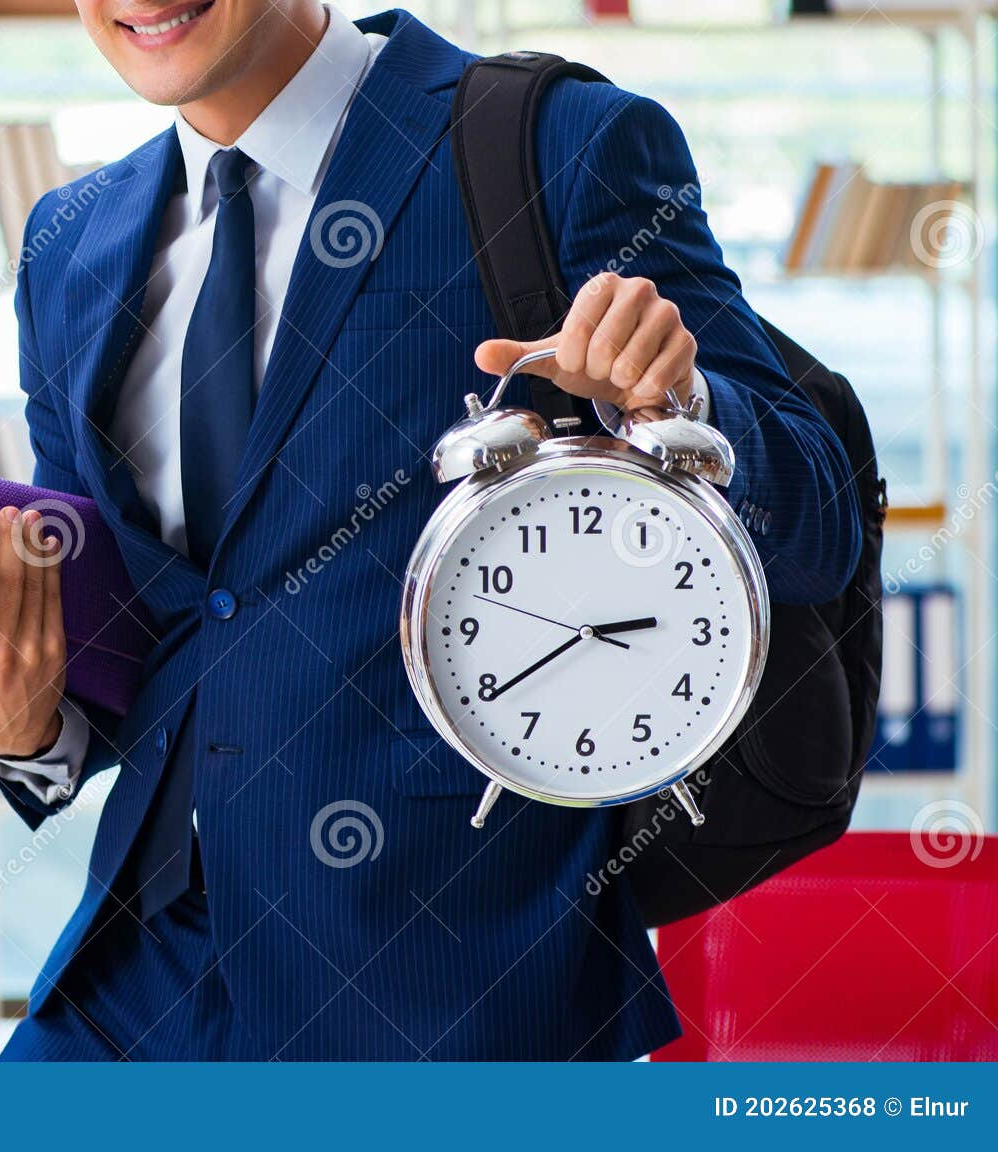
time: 2:39
